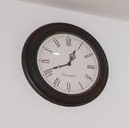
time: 12:41
